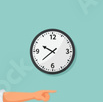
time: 9:38
